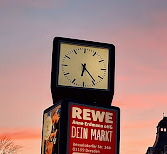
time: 6:23
